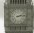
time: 2:13
